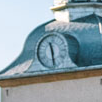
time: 11:28
